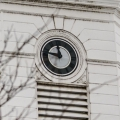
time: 11:46
